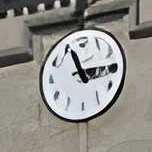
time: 11:14
